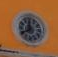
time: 11:40
